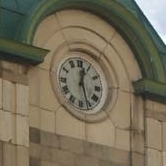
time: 12:26
